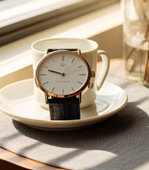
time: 9:48
